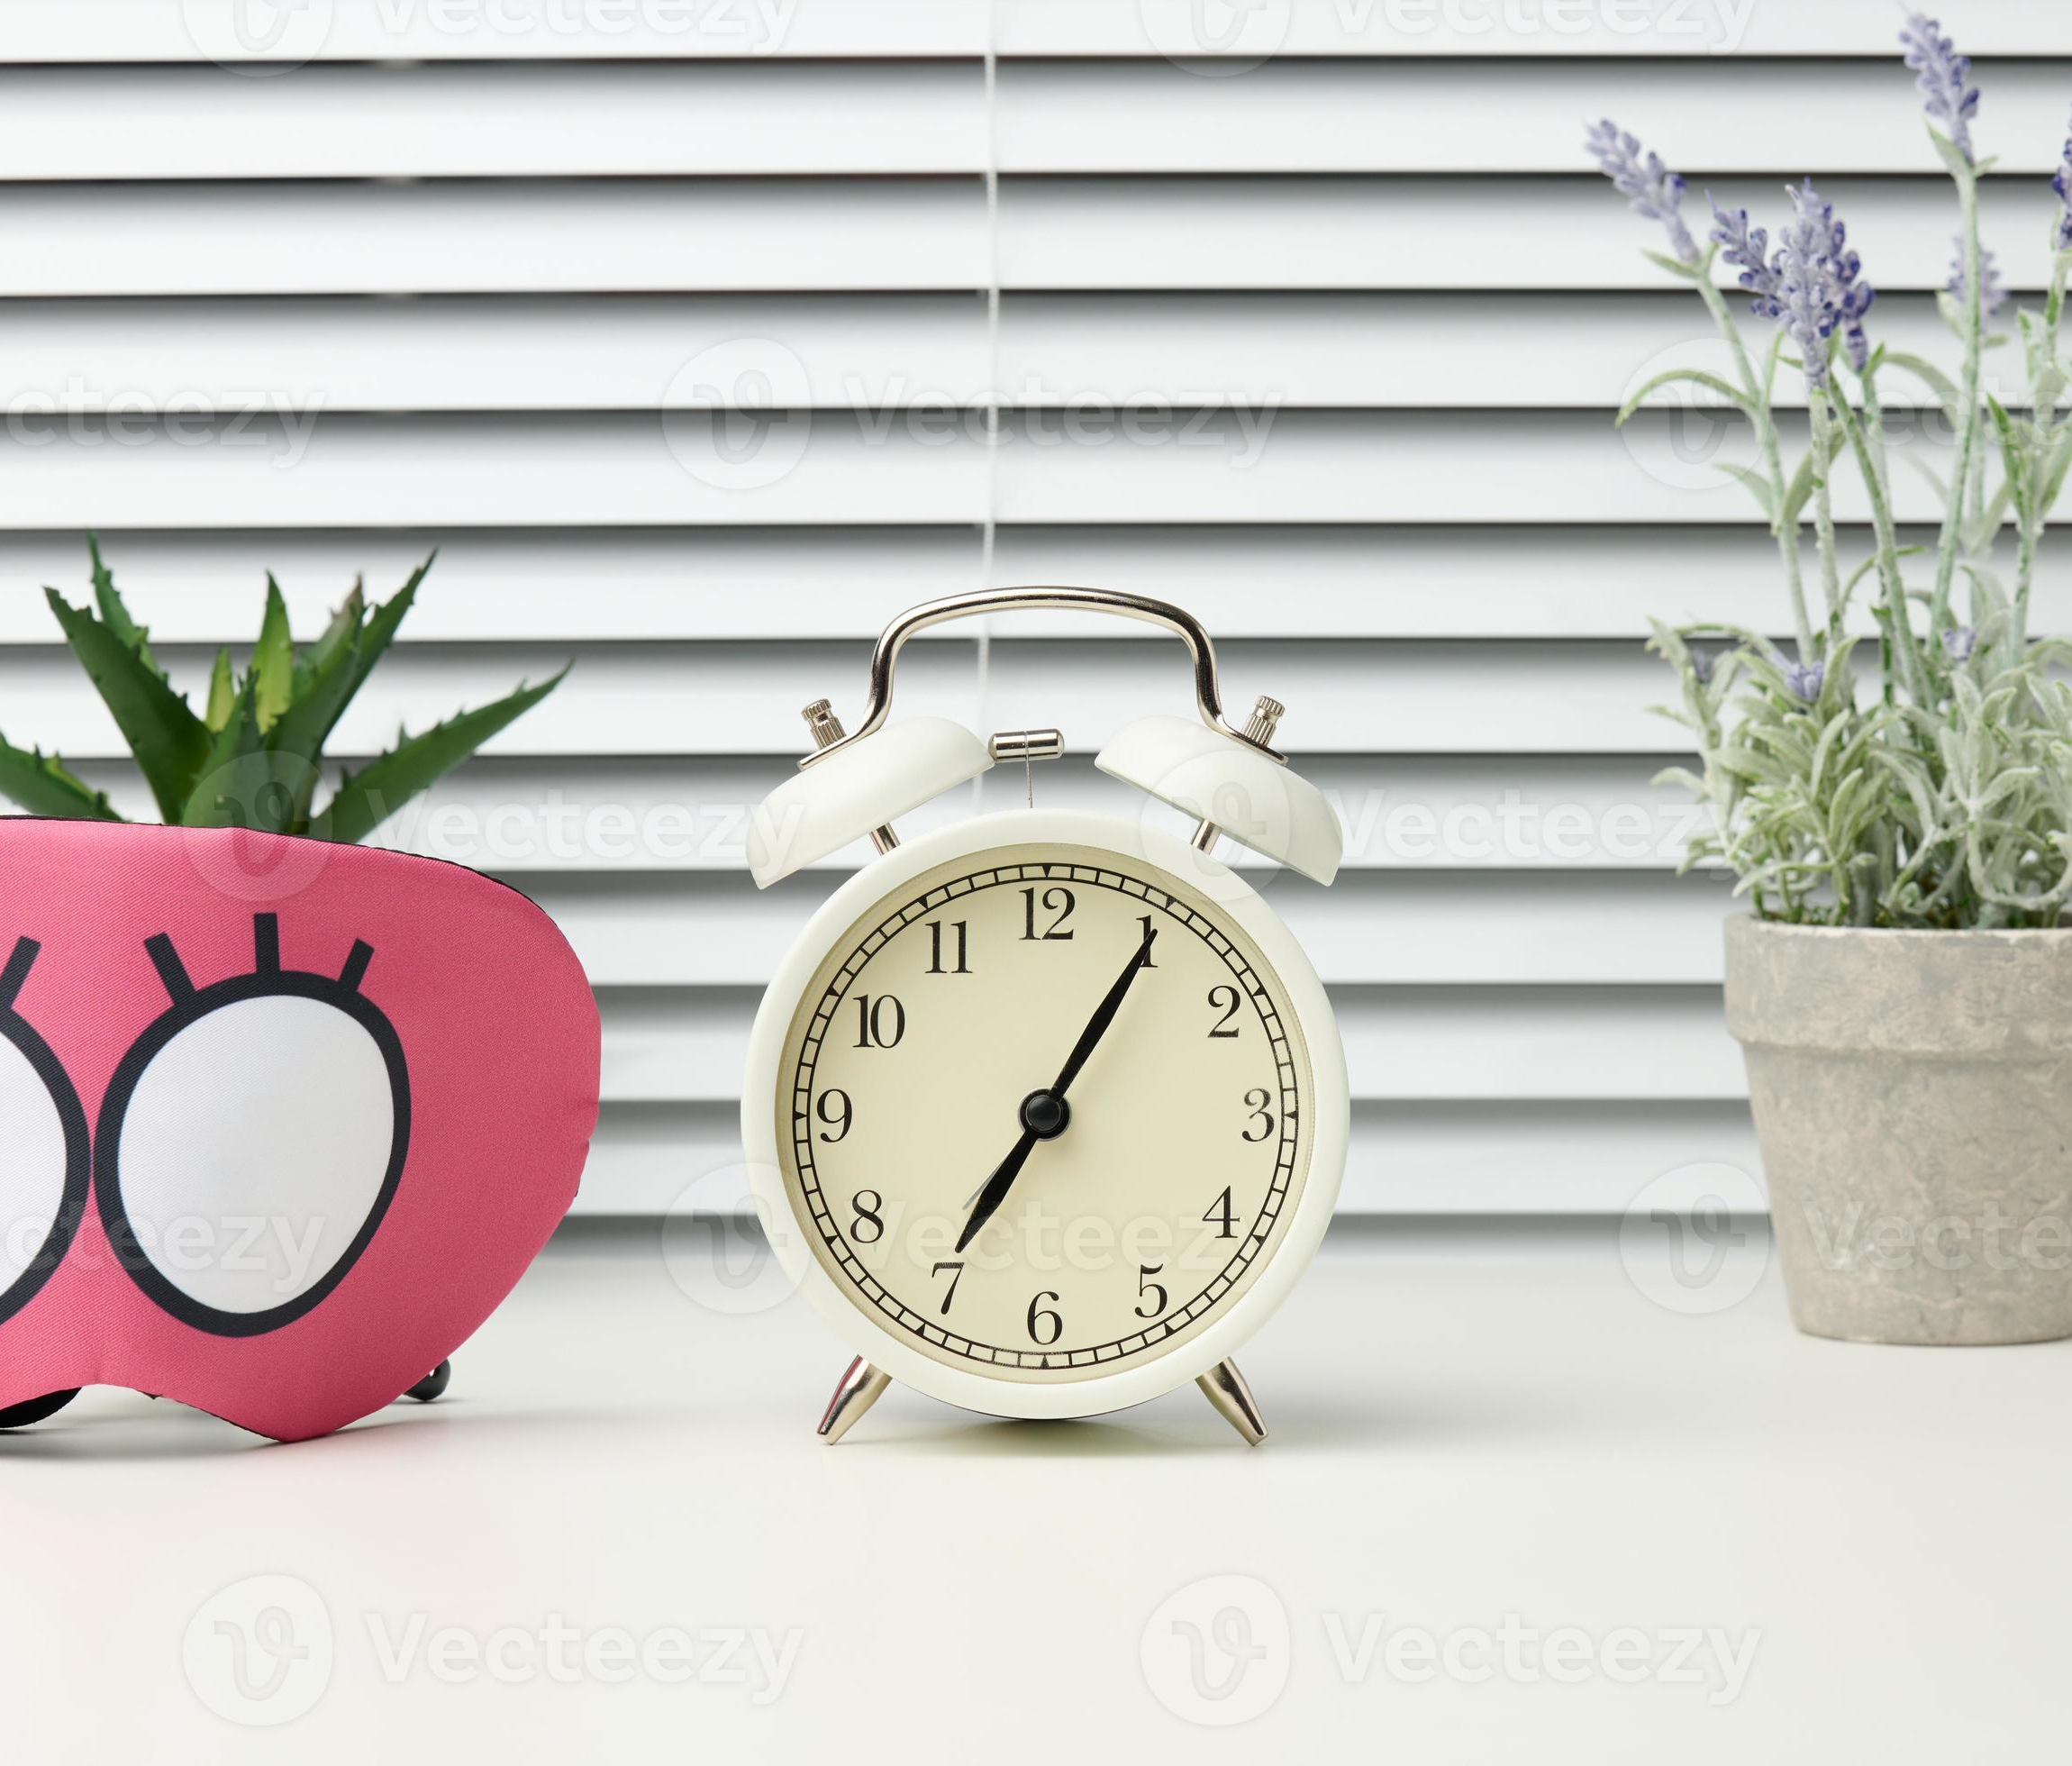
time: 7:05
